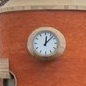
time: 12:07
